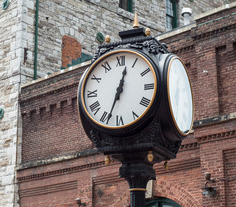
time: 12:33
